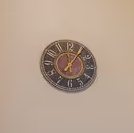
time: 7:06
